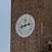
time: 8:12
